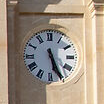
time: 5:26
